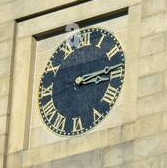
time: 3:13
